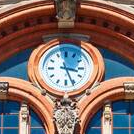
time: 3:26
